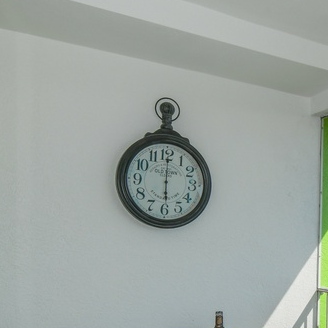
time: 6:00
